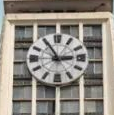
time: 2:54
